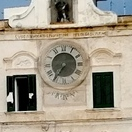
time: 7:36
